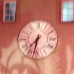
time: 7:32
